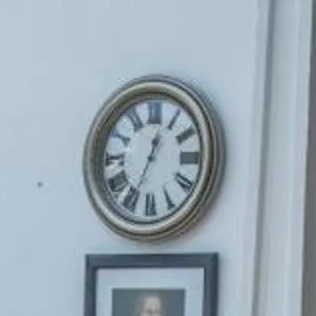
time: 12:33
